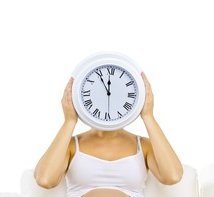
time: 11:54
